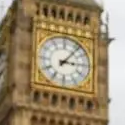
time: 3:06
